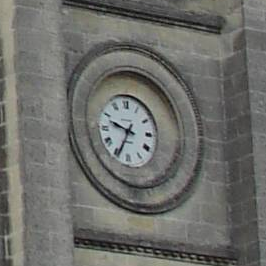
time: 9:34
